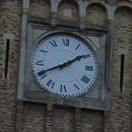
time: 1:40
